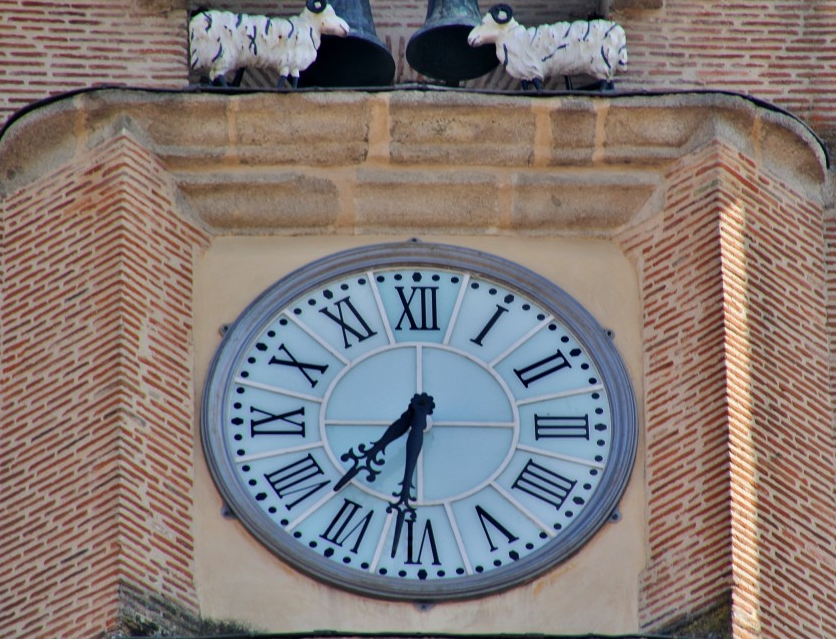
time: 7:31
